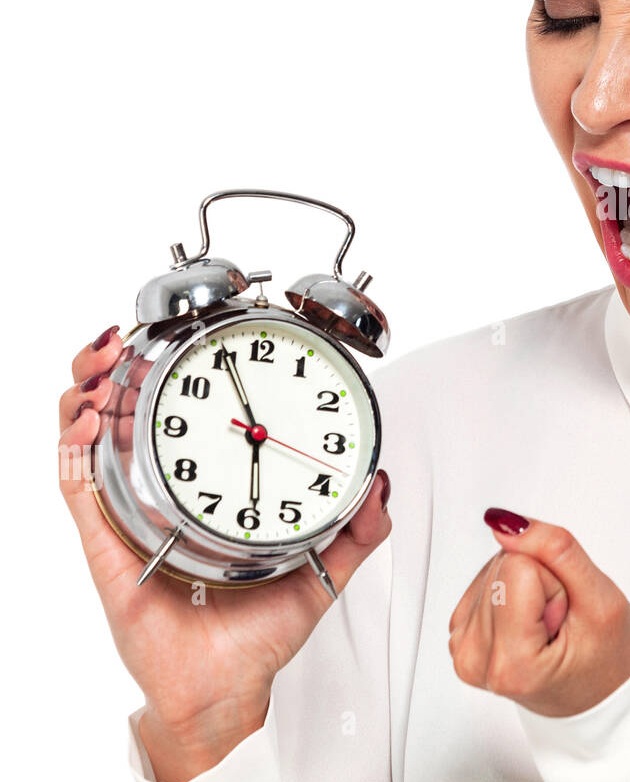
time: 5:55
